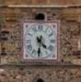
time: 4:31
